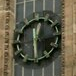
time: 12:28
